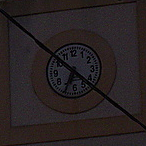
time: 6:52
